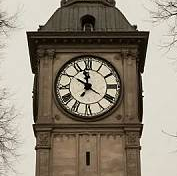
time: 11:50
